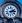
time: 2:14
